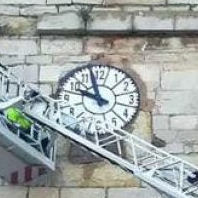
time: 9:57
